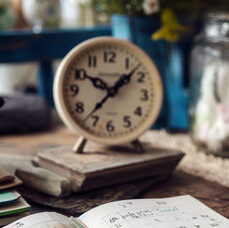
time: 10:07
